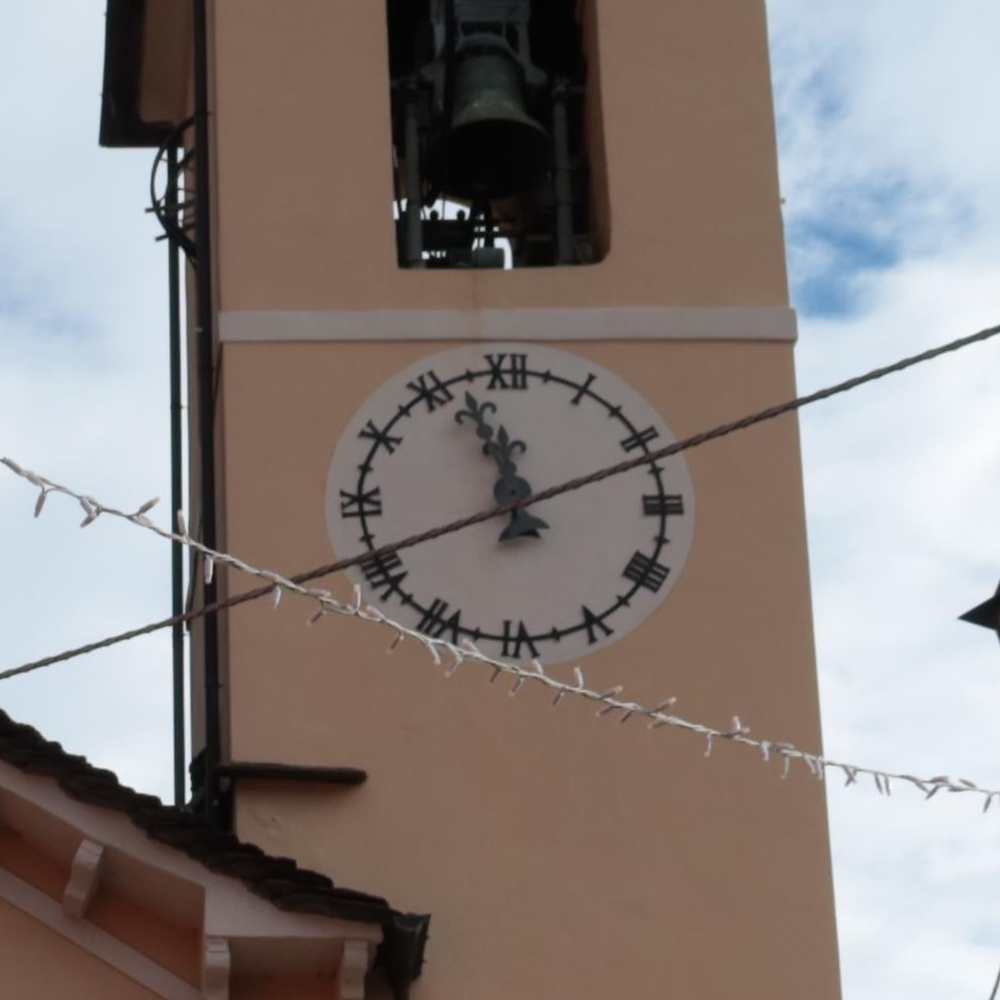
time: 11:56
